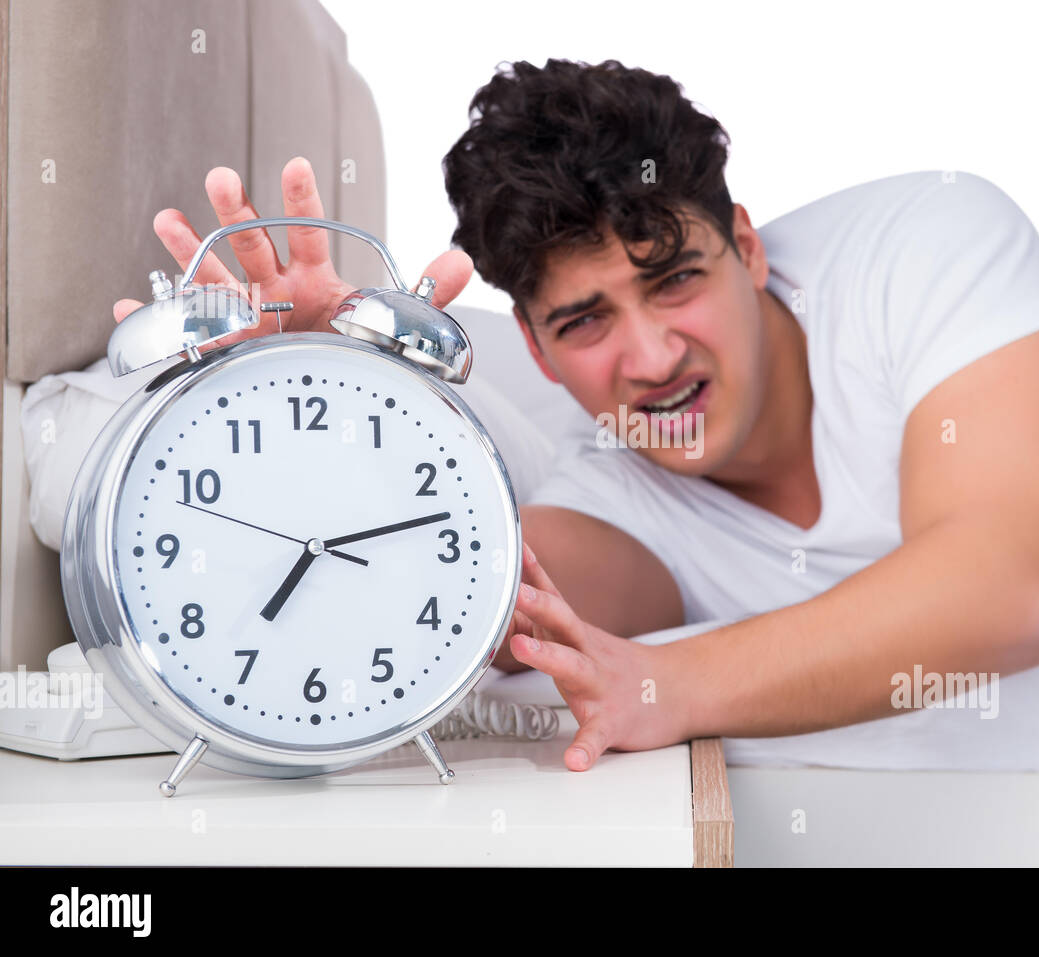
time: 7:13
